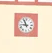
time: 8:56
